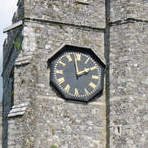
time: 1:58
